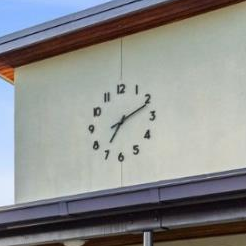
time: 7:11
